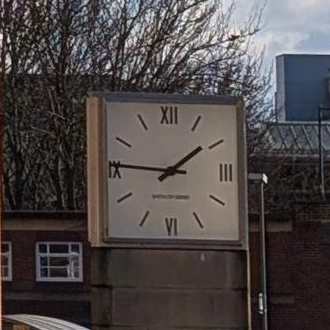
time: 1:46
